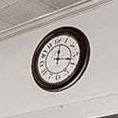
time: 12:17
